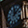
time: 12:07
